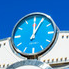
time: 12:04
